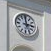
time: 2:58
